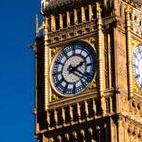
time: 2:21
